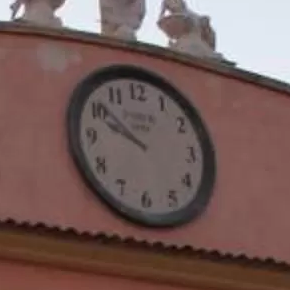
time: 9:51
